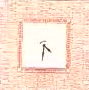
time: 4:31
